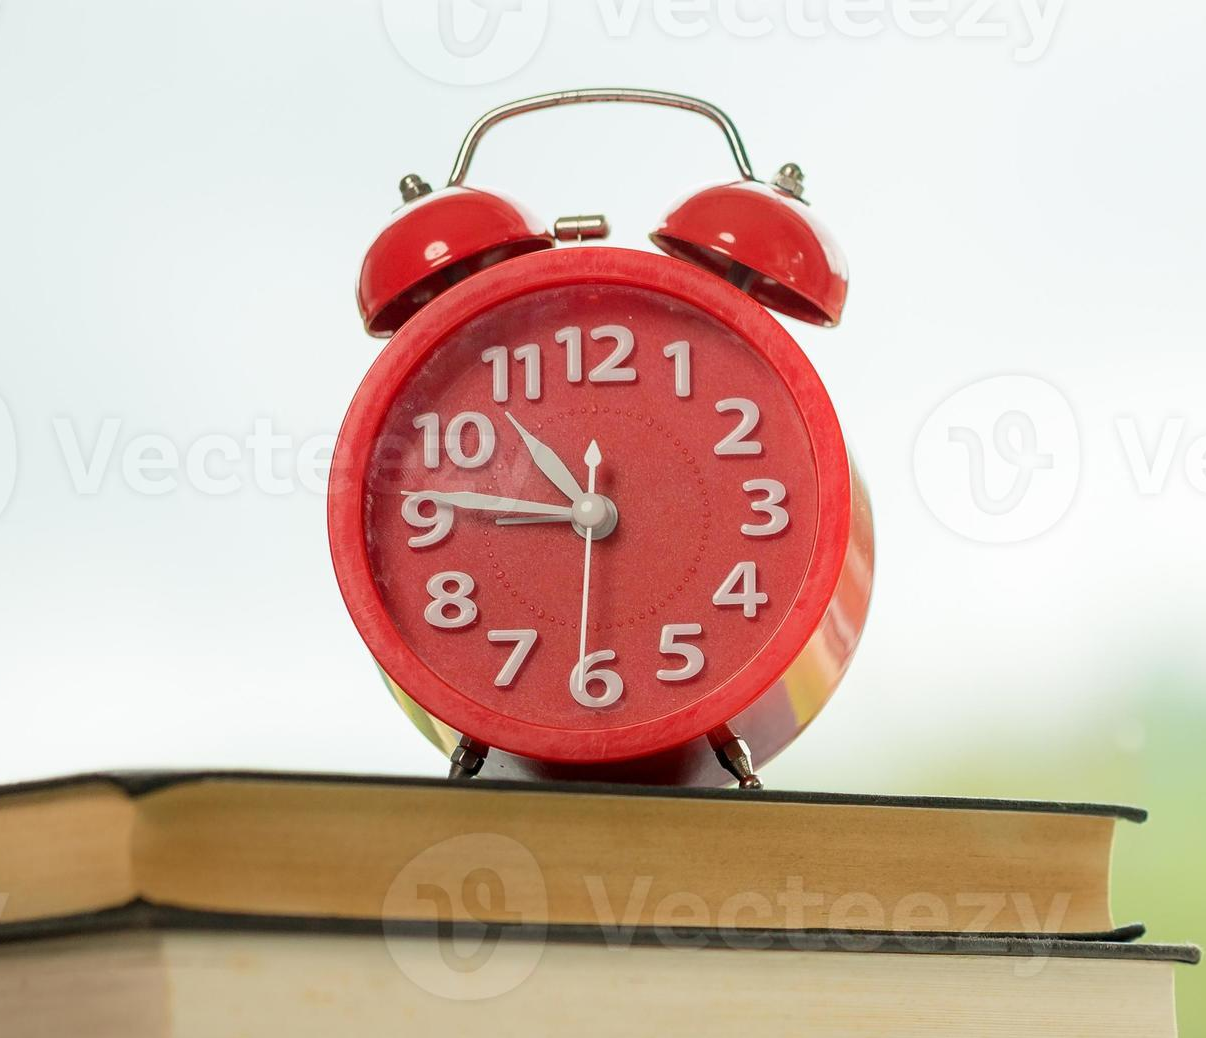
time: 10:46
